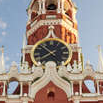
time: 7:52
